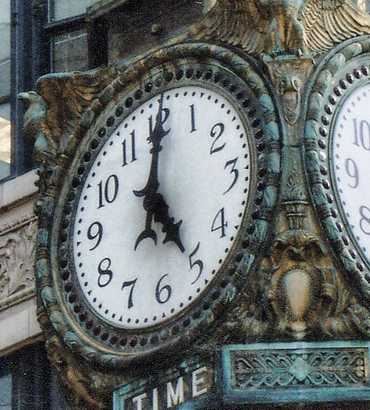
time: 5:00
